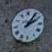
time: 2:06
